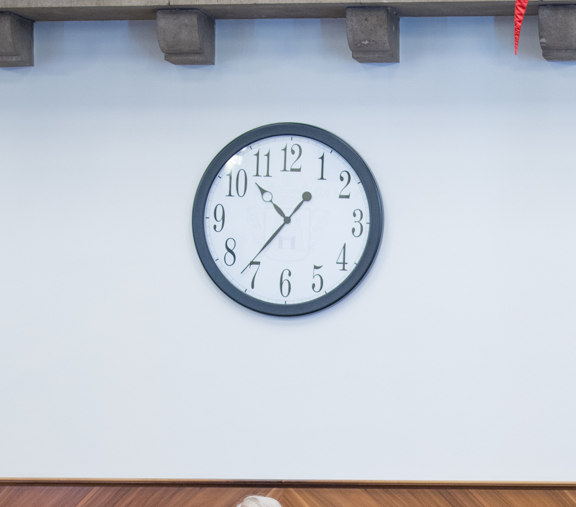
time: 1:36
